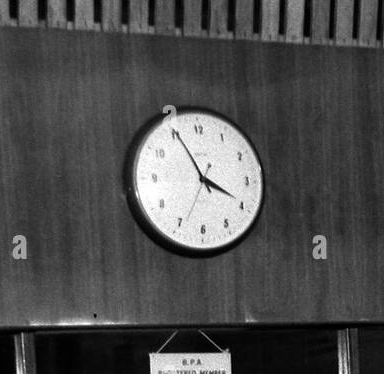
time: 3:55
